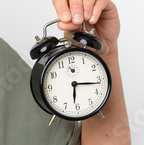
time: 6:16
